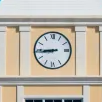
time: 8:44
